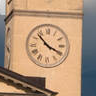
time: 3:52
